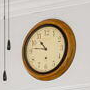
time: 10:46
